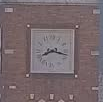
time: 8:17
